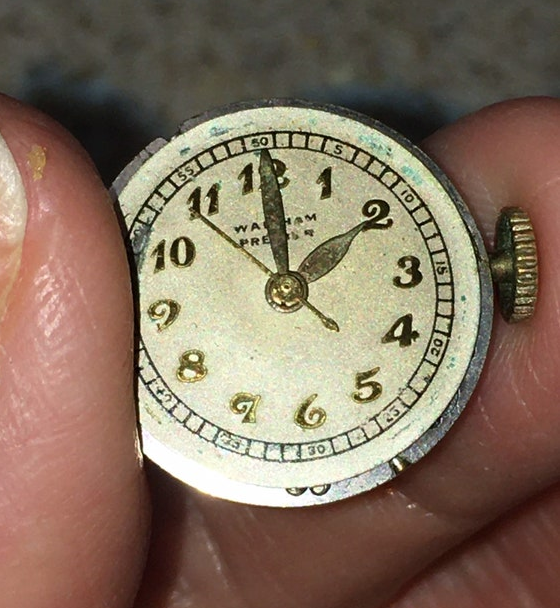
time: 1:59
